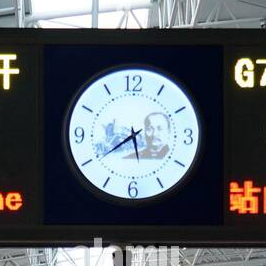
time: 5:39
